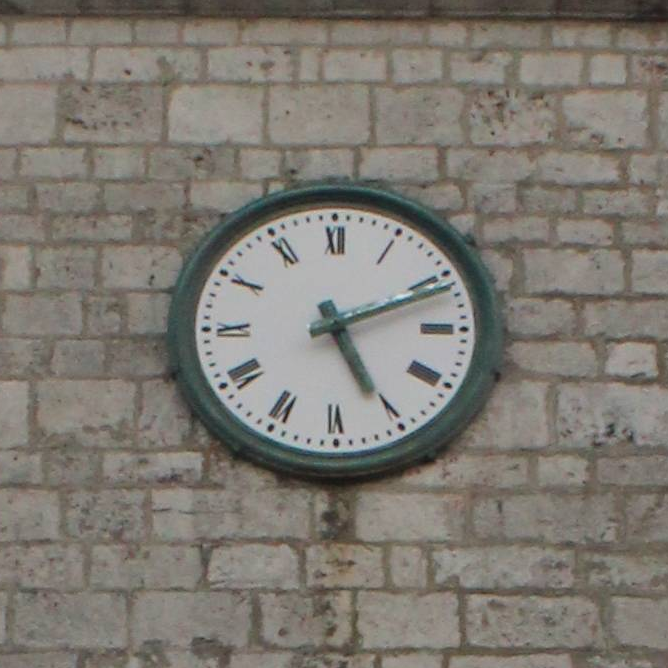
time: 5:11
